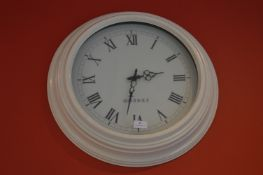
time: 2:32
